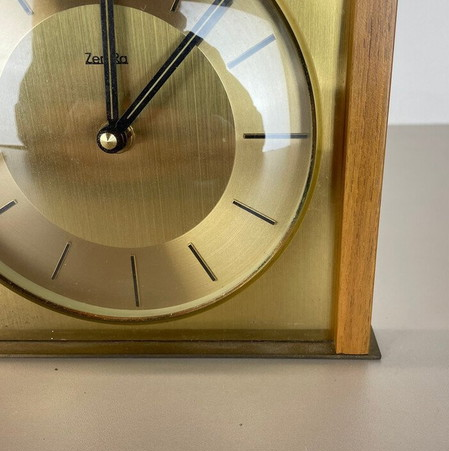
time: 12:07
